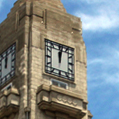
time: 12:01
